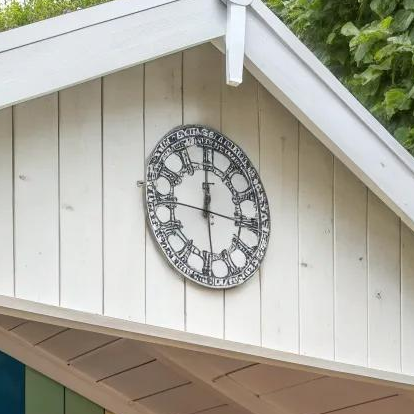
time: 11:59
